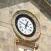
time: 12:48
